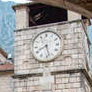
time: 8:27
